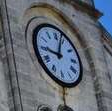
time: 9:03
